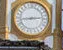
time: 2:43
